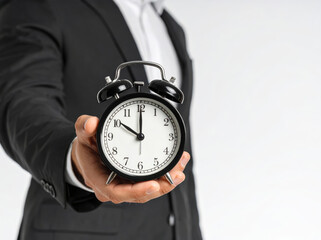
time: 10:00
